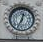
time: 12:34
